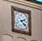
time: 2:21
